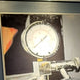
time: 1:38
